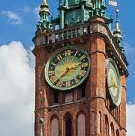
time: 7:12
